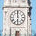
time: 5:59
